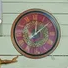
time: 12:08
